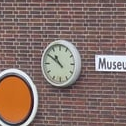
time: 10:50
